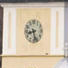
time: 8:27
